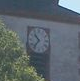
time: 10:36
